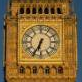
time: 6:34
